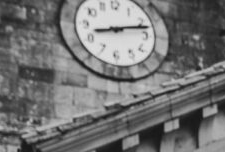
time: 8:12
